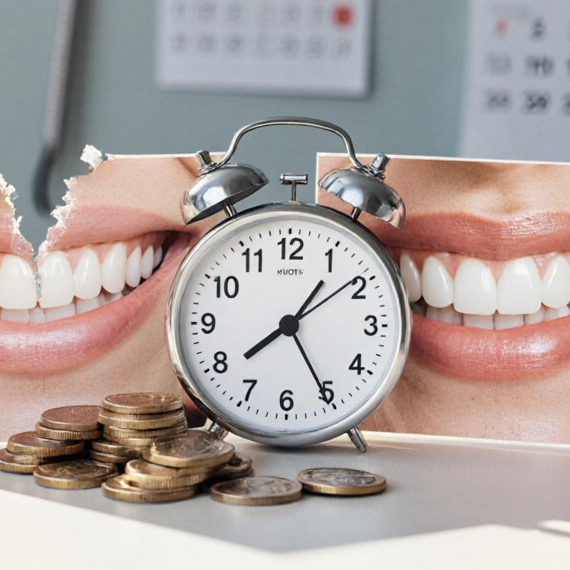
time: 7:25
